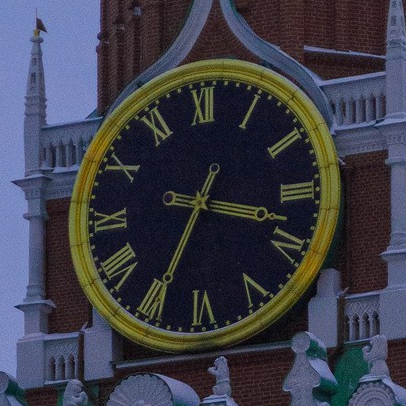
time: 3:34
